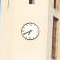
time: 6:40
